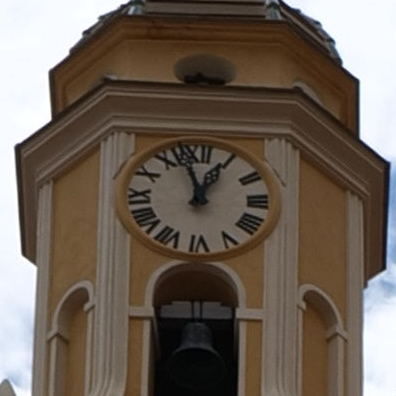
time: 12:57
